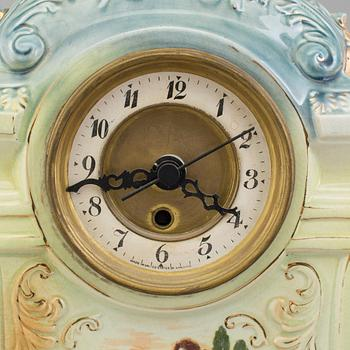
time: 3:43
